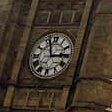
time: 2:56
